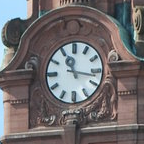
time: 11:16
